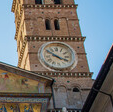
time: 3:50
